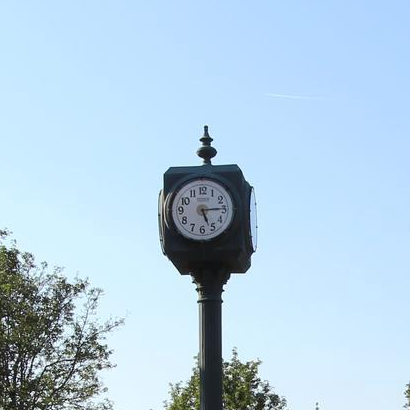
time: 5:15
